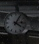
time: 4:04
